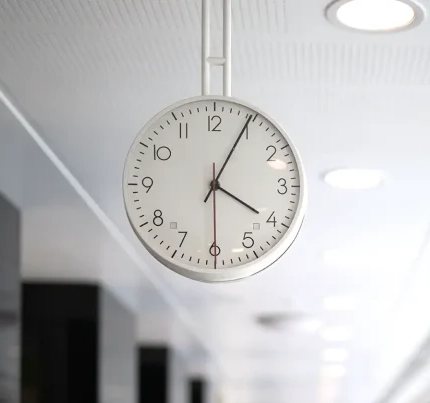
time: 4:04
